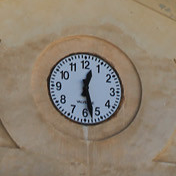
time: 12:27
